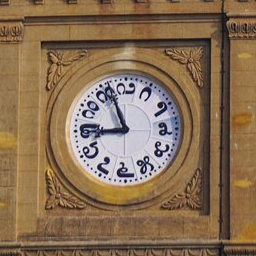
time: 8:56
